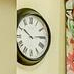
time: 2:50
